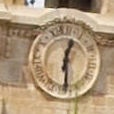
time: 12:29
